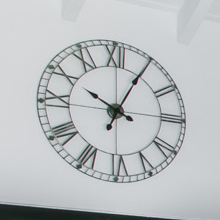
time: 10:04
